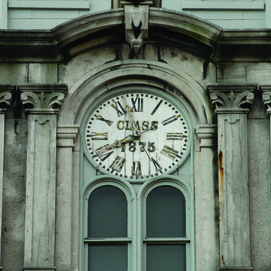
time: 7:57
